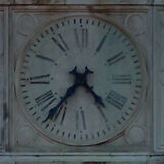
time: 4:36
